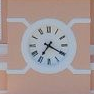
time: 7:19
